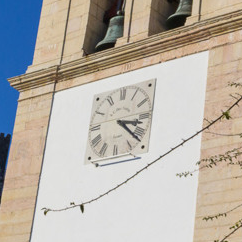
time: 3:22
